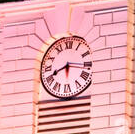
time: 8:16
